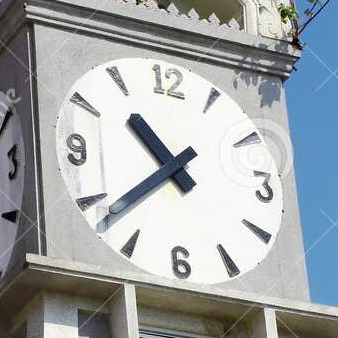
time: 10:38
